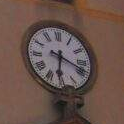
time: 6:18
